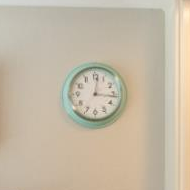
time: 12:16
